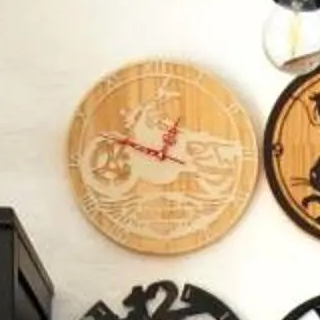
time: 12:48
